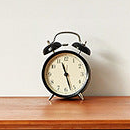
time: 11:27
